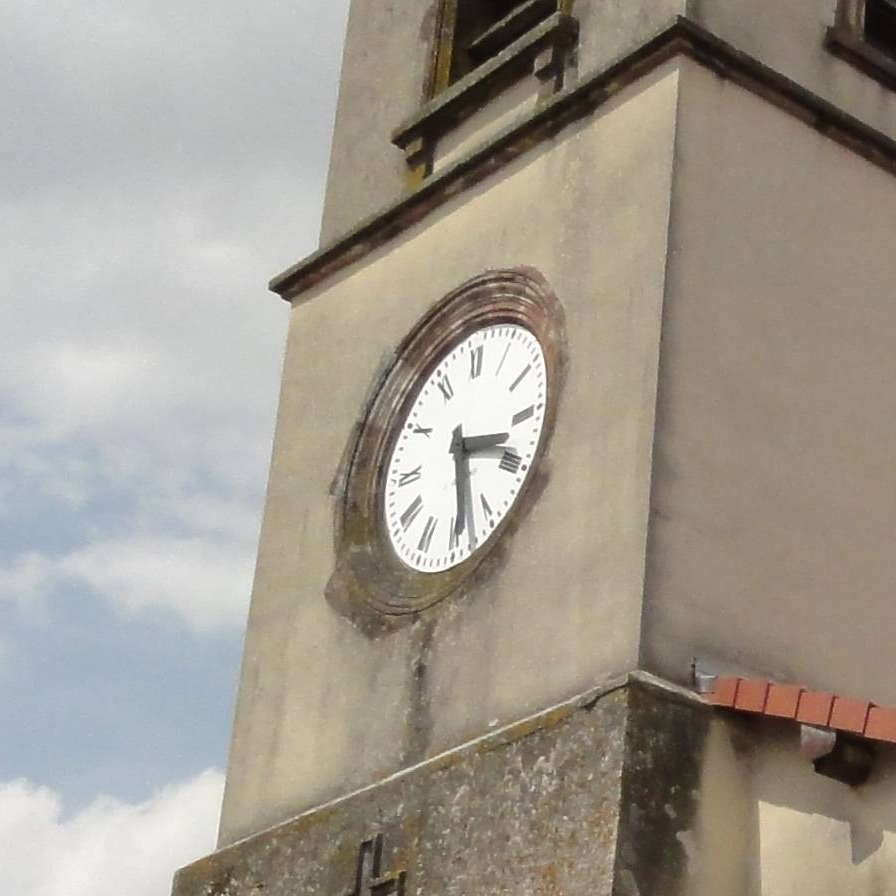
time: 3:28
